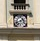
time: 1:41
